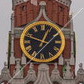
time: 12:47
